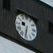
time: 9:32
